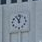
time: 11:02
